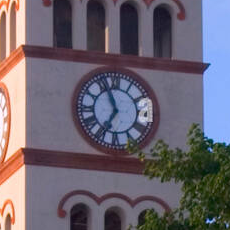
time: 6:56
